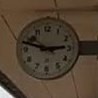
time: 2:48
